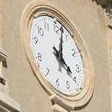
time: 4:02
